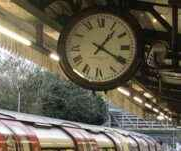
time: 1:20
